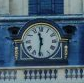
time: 11:31
